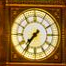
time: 7:36
